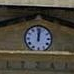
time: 12:01
